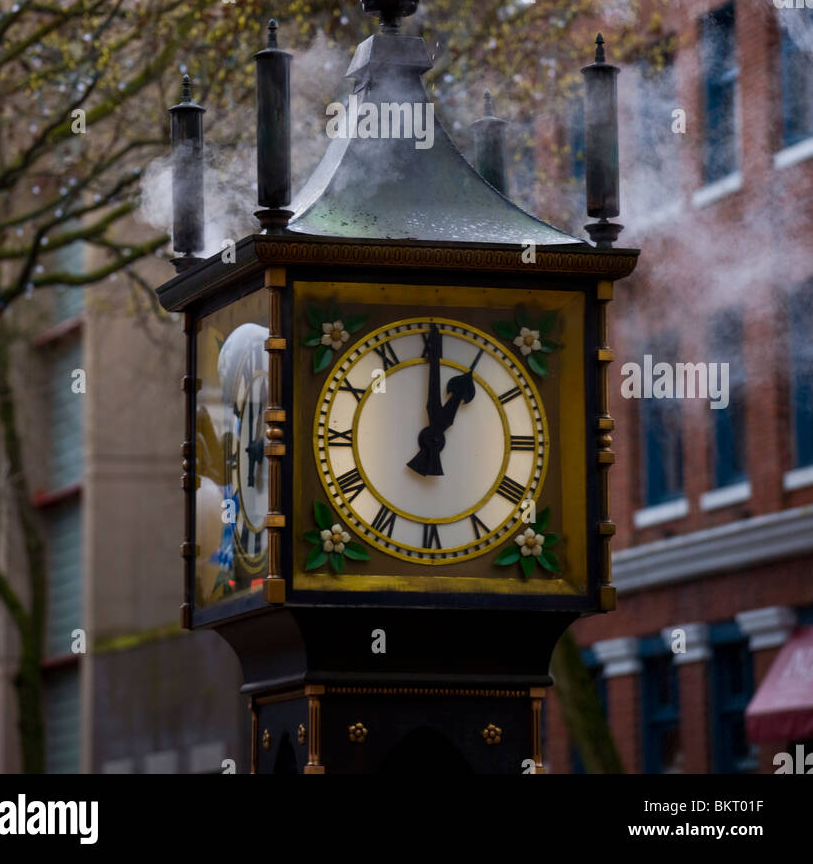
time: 1:00
